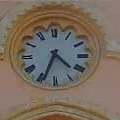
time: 4:33
